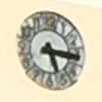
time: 5:15
